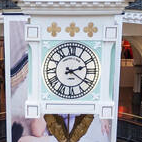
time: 2:21
